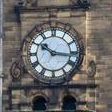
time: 10:16
